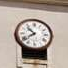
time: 10:39
